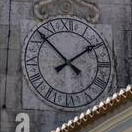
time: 1:52
